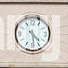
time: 4:29
